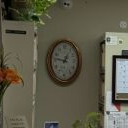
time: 12:46
